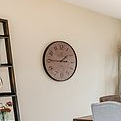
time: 1:45
